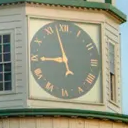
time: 8:57
